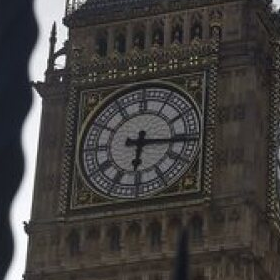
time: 6:15
